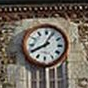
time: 8:04
